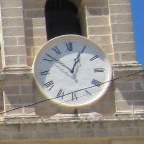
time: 12:52
